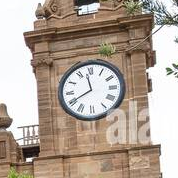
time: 11:40
